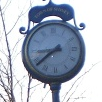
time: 8:38
